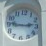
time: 2:46
